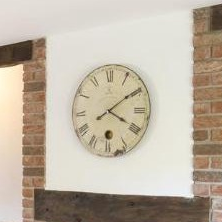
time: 4:09
